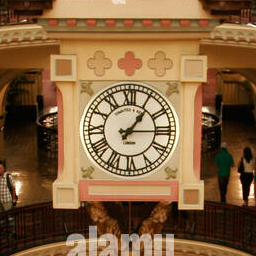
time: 1:14
